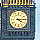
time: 4:14
